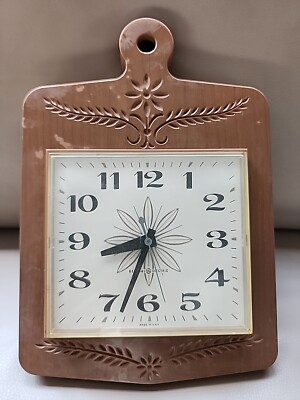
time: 8:33
